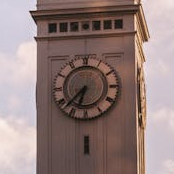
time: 6:37
